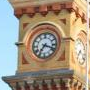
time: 7:18
